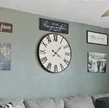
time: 4:07
